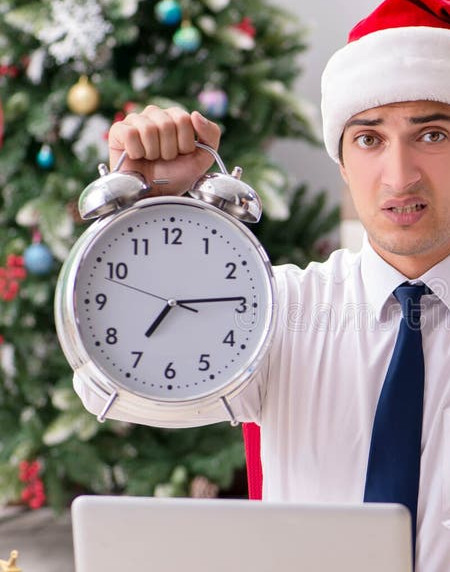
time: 7:14
